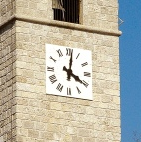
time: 4:01
